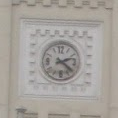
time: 2:21
